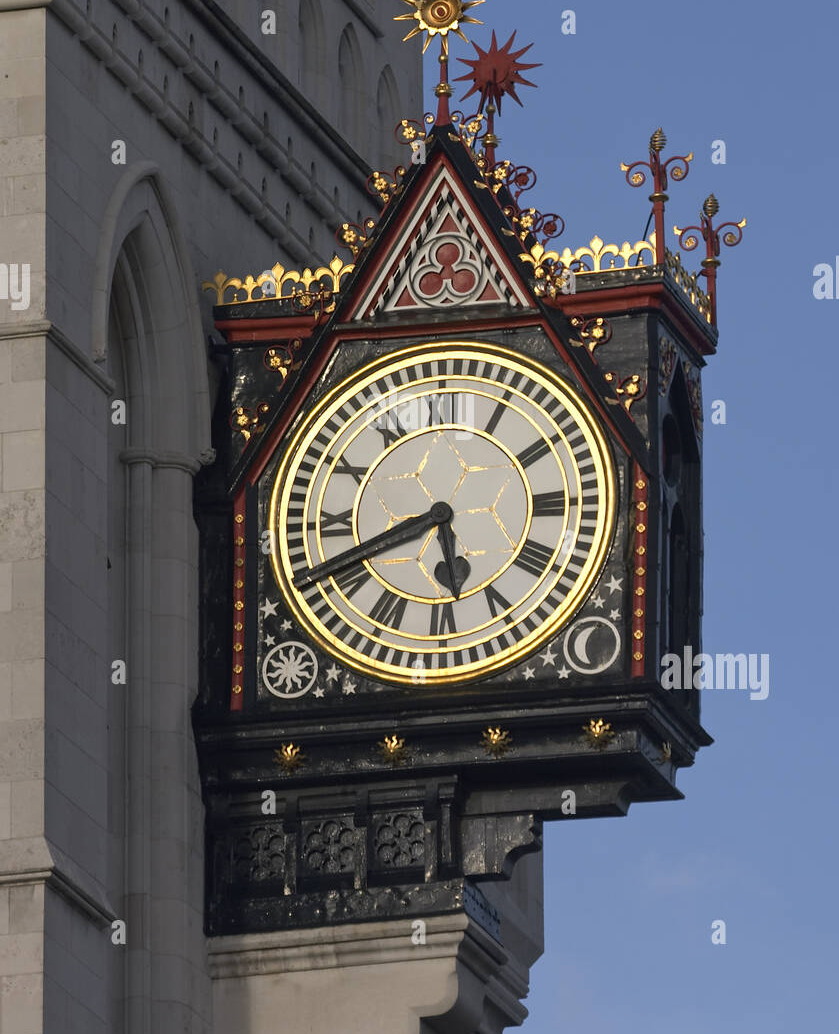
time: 5:41
